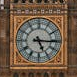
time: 5:15
